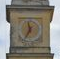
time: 11:35
